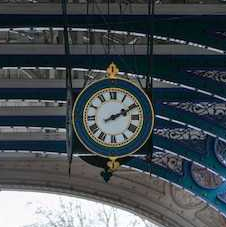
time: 2:10
